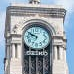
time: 9:50
